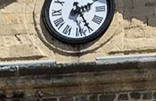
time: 2:25
